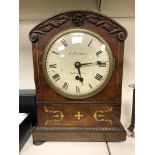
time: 5:14
